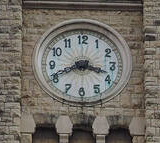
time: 3:41
